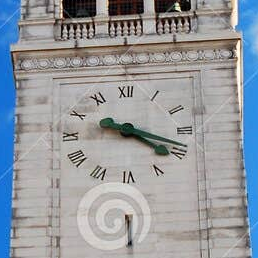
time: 4:18
